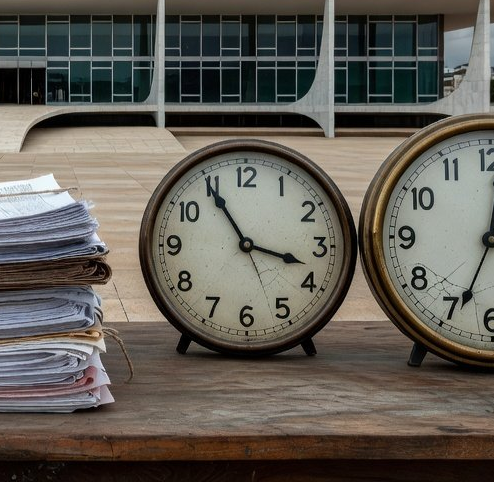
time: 3:54
